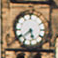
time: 5:38
